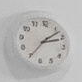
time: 2:07
